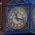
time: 11:17
